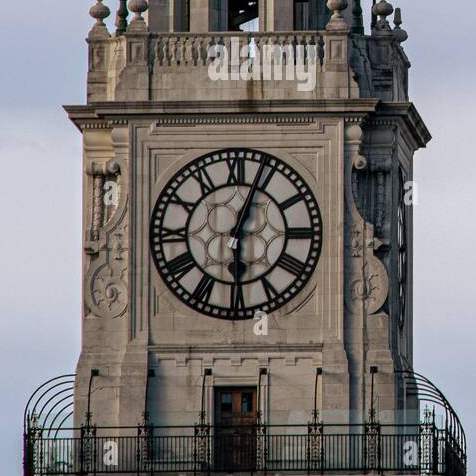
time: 6:03
